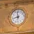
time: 11:42
